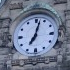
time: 7:02
